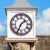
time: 1:34
